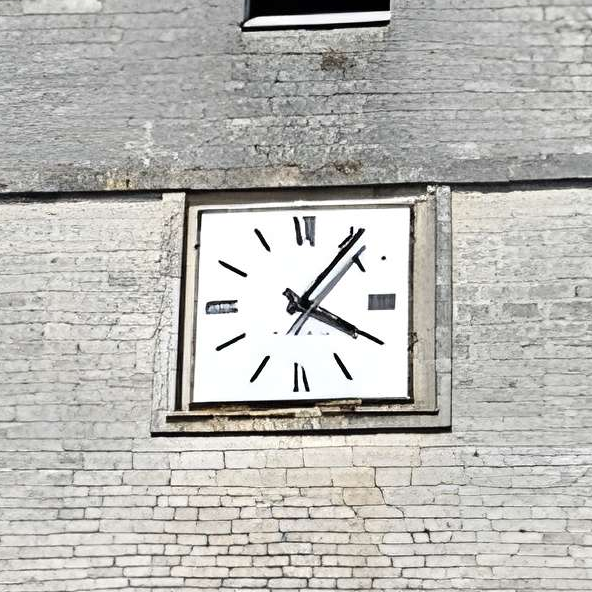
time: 4:06
